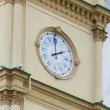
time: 1:59
